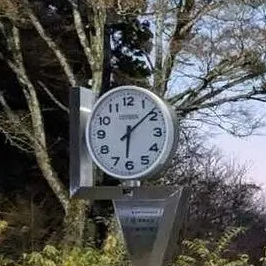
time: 6:08
